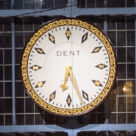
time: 6:26
